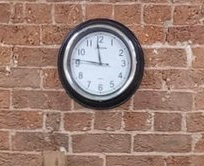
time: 11:46
